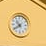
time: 10:39
